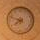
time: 7:48
